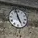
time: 4:56
